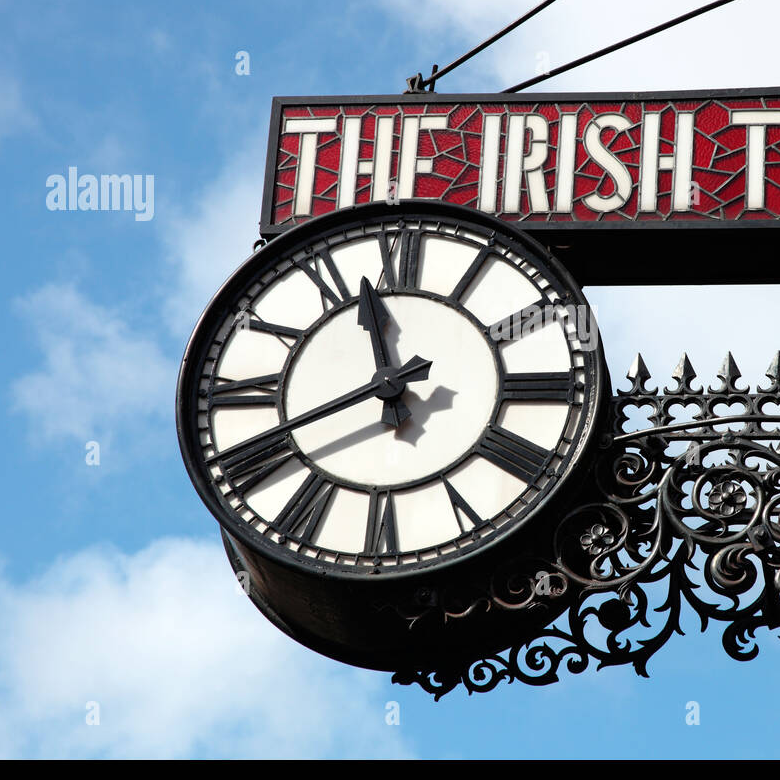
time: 11:40
